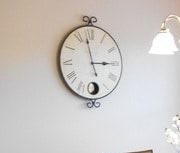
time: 2:58
